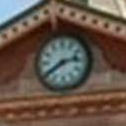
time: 2:39
